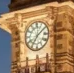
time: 7:07
